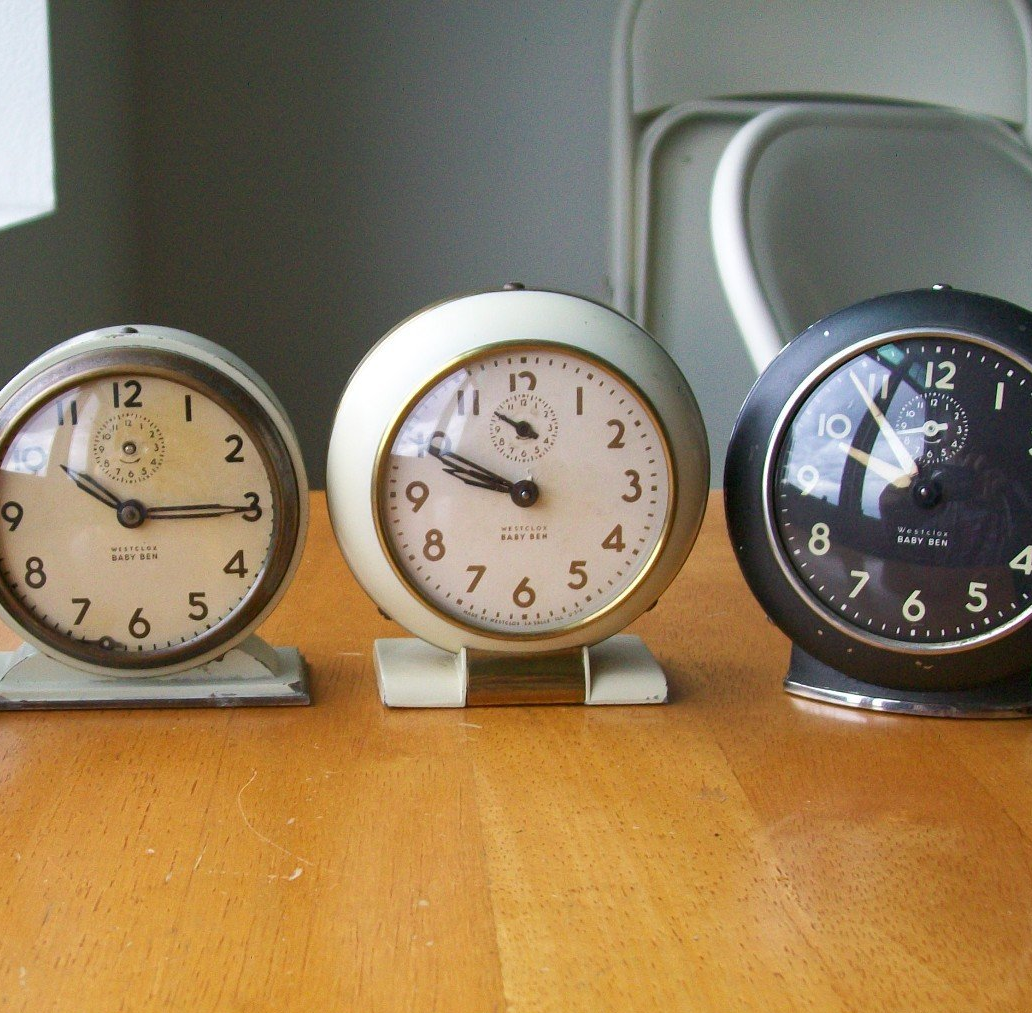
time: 9:49
